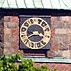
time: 3:40
